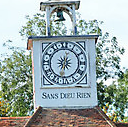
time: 12:32
